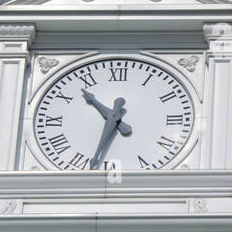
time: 10:32
